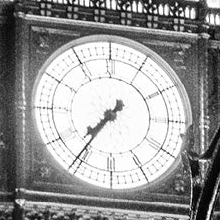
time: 7:35
